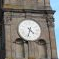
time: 4:32
